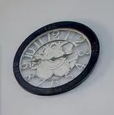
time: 2:46
